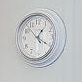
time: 1:20
